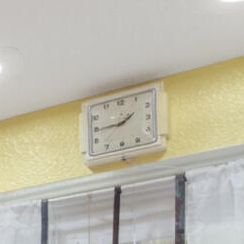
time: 1:45
